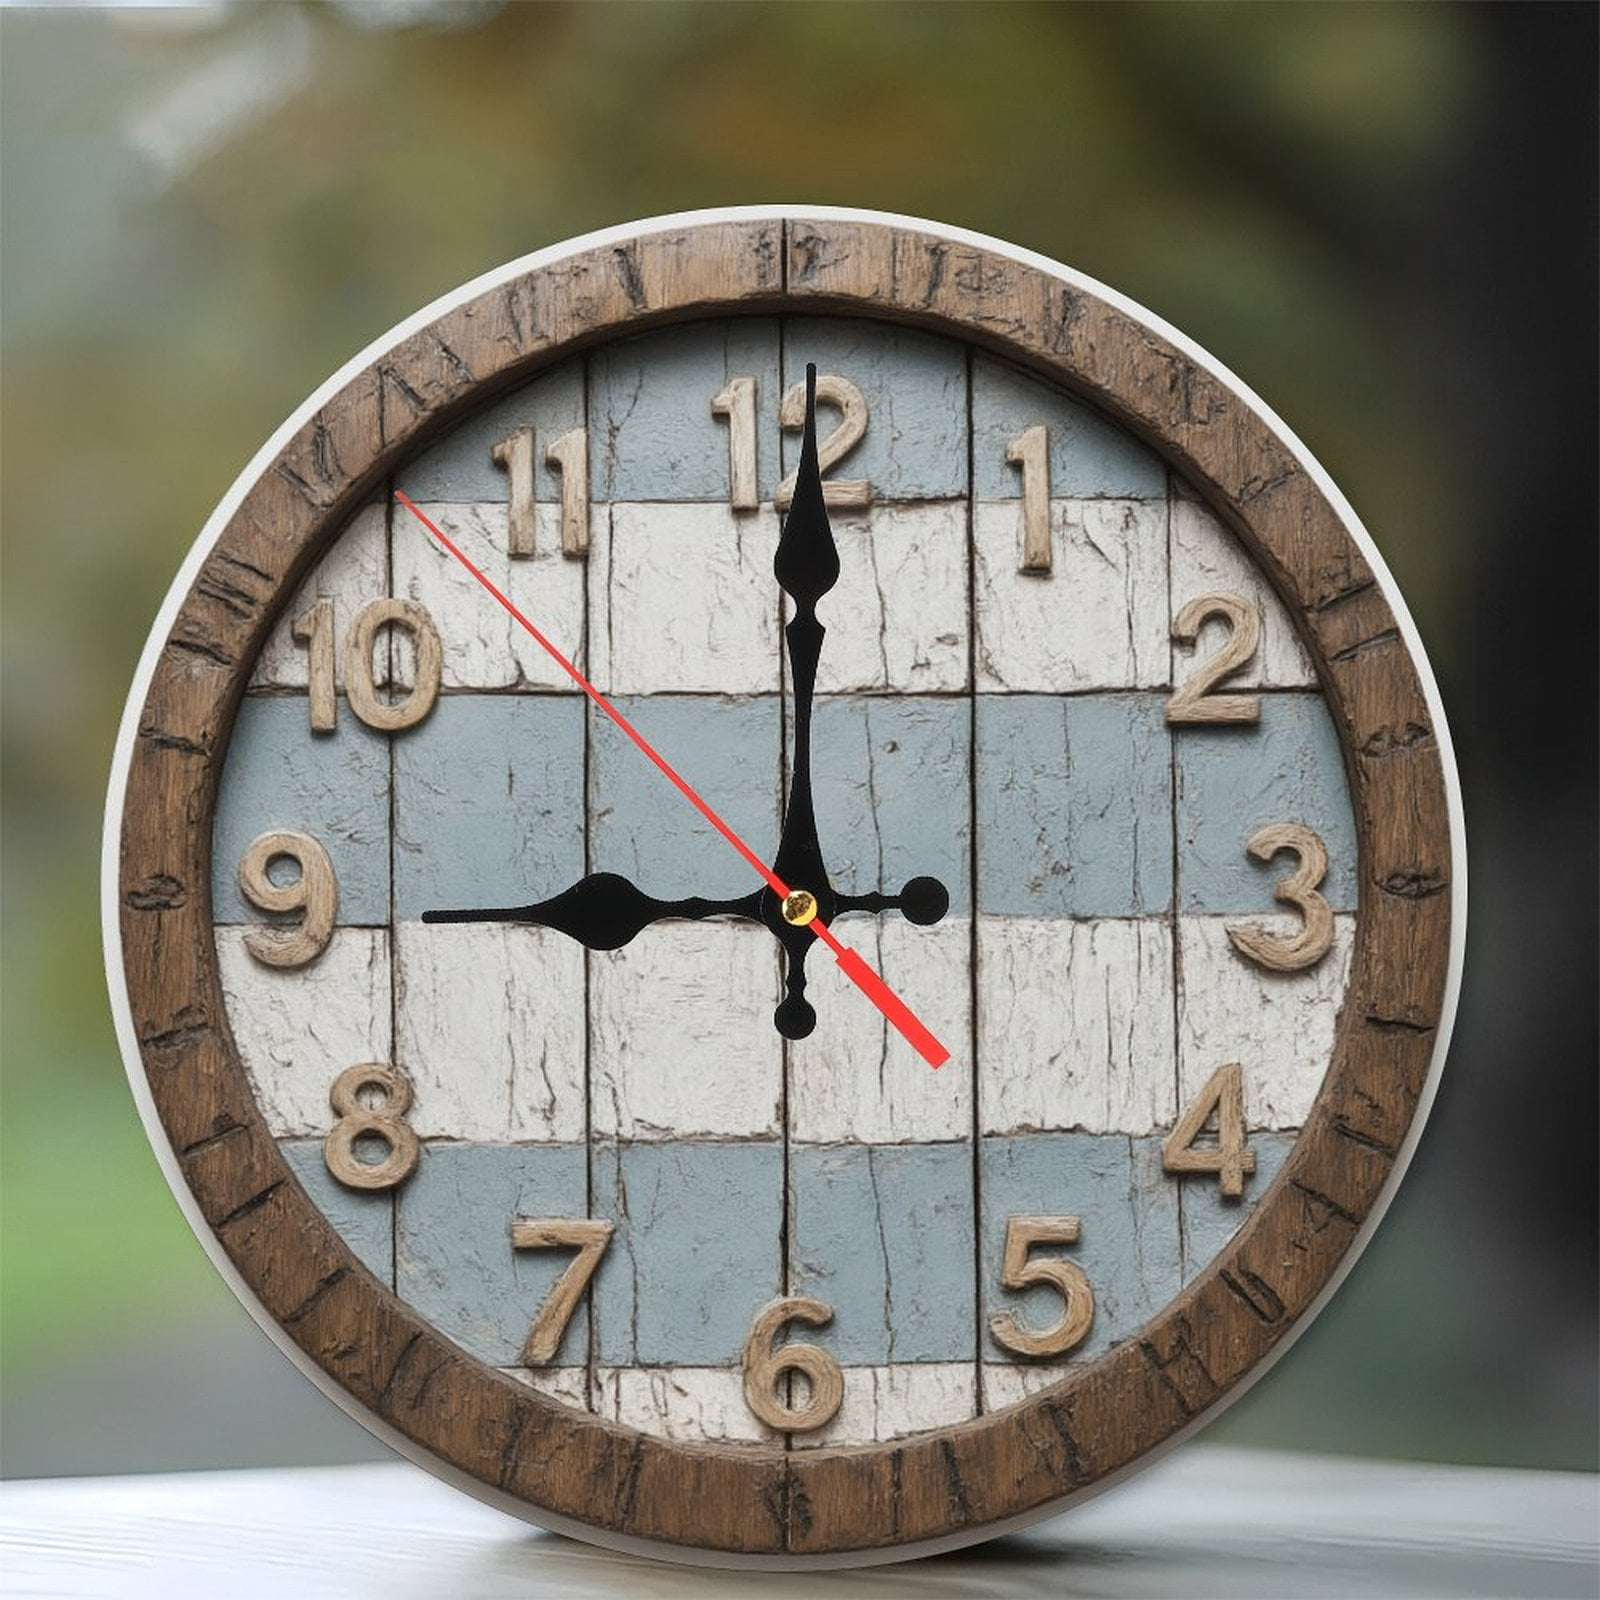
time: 9:00
